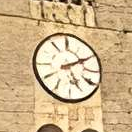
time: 5:10
